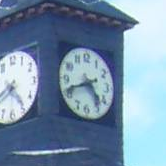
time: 4:41
